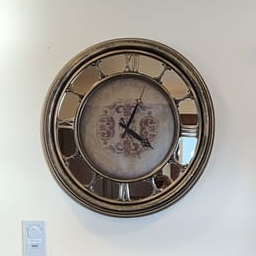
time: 4:03
